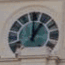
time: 1:00
